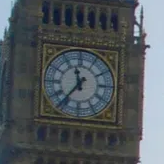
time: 11:36
